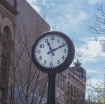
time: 11:10
